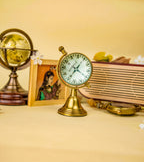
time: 7:04
